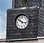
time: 10:17
